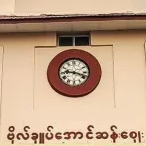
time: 9:17
